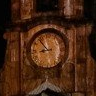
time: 8:53
